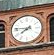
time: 7:46
